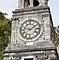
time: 1:47
